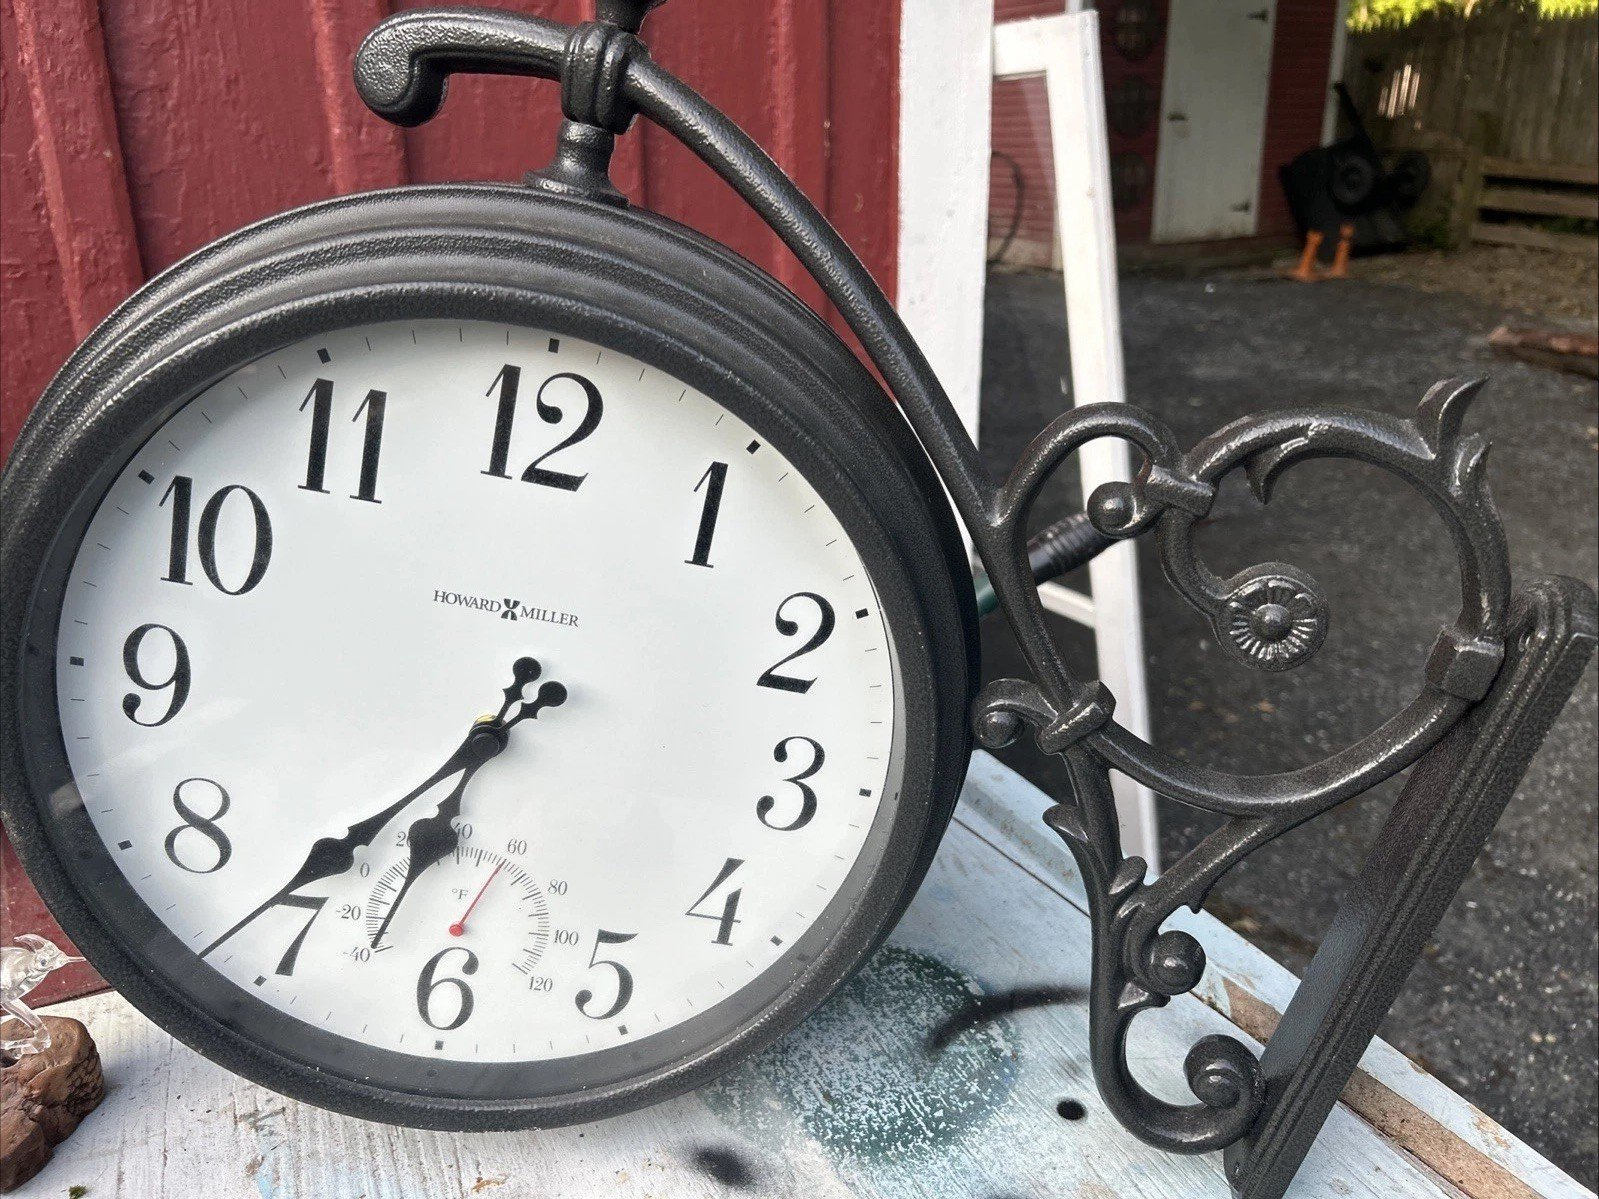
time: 6:36
